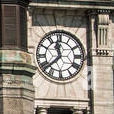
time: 11:37
